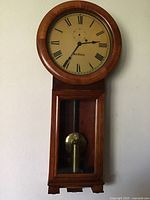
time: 2:35
